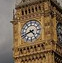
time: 4:41
